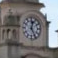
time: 12:24
